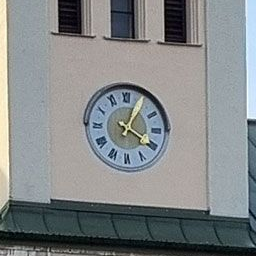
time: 4:04
